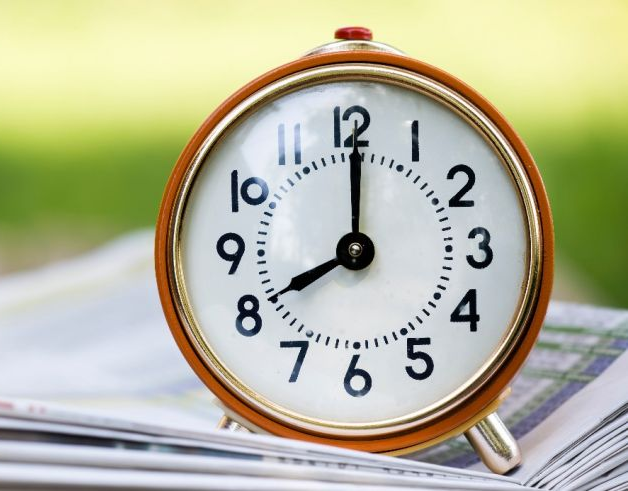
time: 8:00
